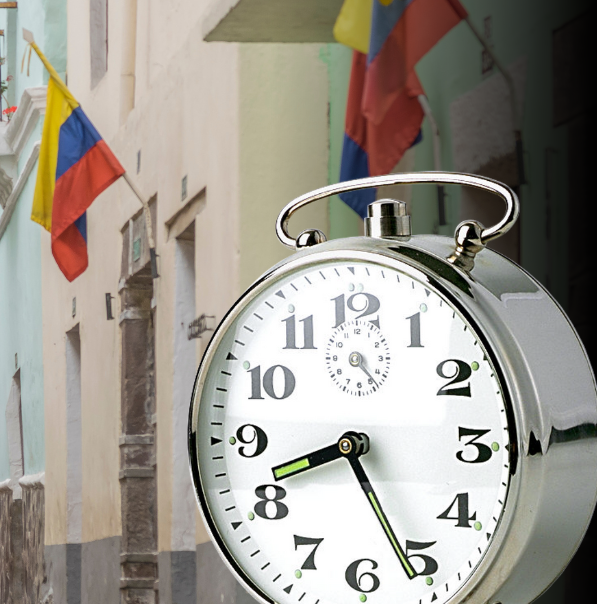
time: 8:25
